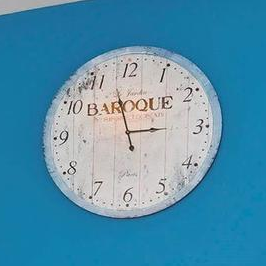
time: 2:57
